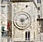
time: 6:11
